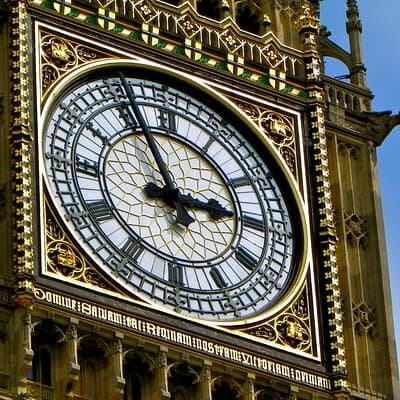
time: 2:56
